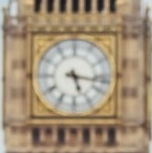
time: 5:16
